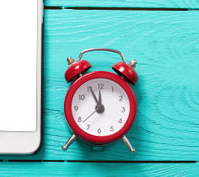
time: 11:55
